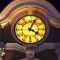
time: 4:04
